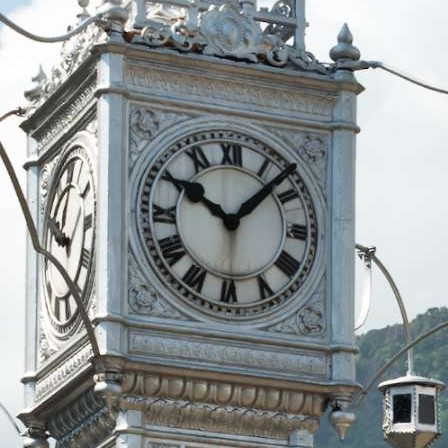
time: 10:07
